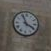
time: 3:56
